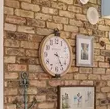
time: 3:24
